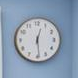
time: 12:28
